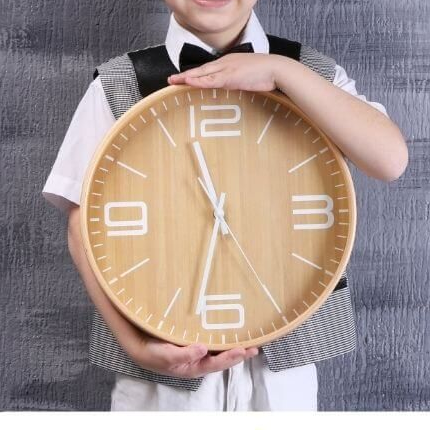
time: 11:32
